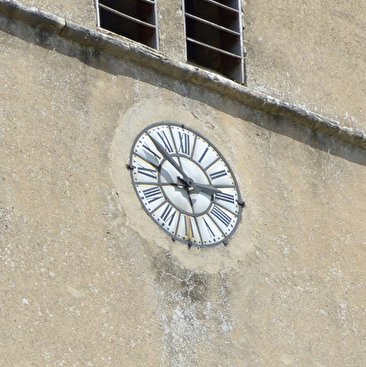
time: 2:52
